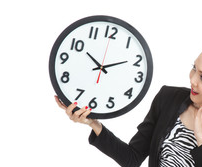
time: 10:10
